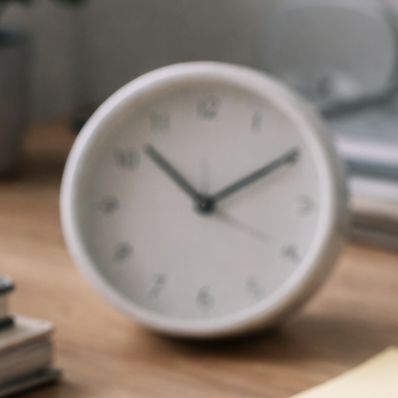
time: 1:52
